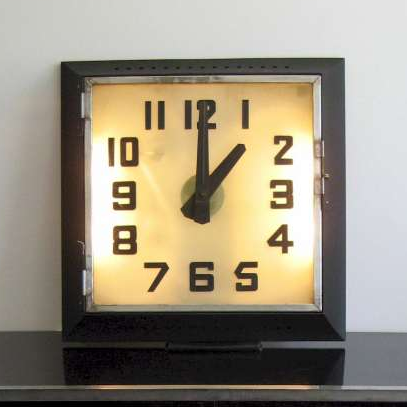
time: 1:00
